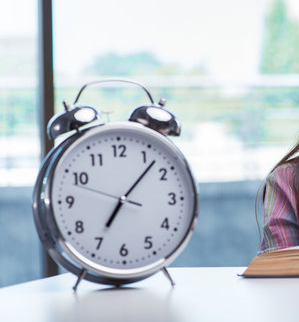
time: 7:07
